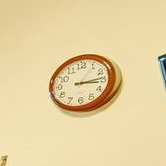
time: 3:13
